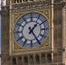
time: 1:24
